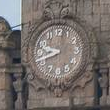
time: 9:42
